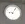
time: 9:05
